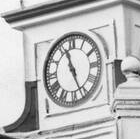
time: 11:26
